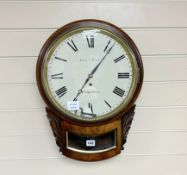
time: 7:06
